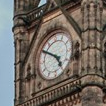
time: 4:50
